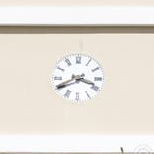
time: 3:40
